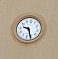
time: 9:26
